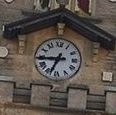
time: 6:44
